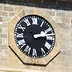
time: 2:14
